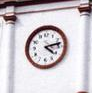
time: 4:12
